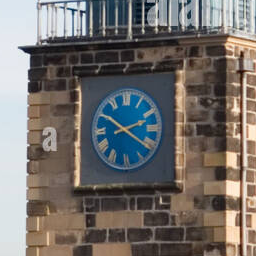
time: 2:20
